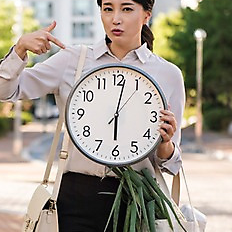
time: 6:02
